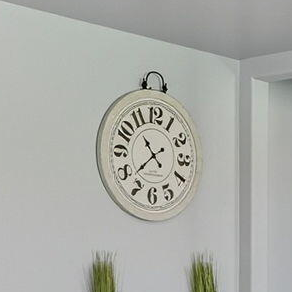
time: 10:37
